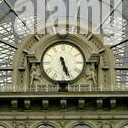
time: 5:26
